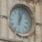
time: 12:03
